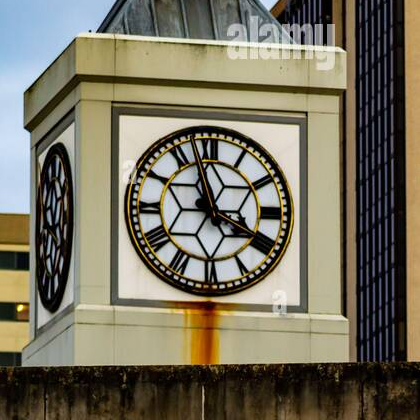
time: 3:57
